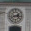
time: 2:42
